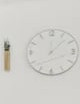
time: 12:07
